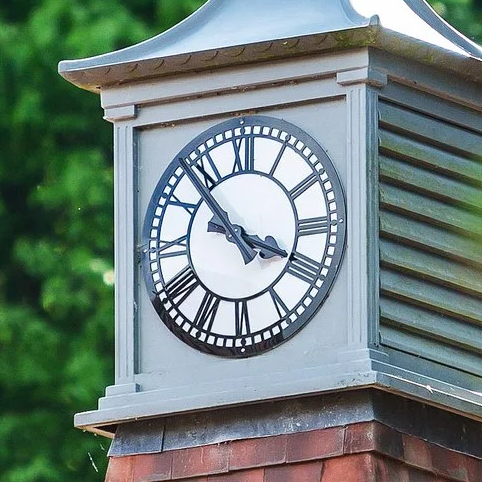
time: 3:53
